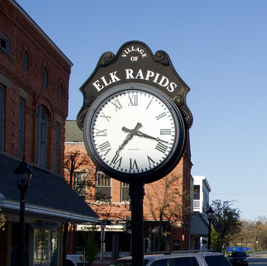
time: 3:36
